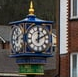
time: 12:11
